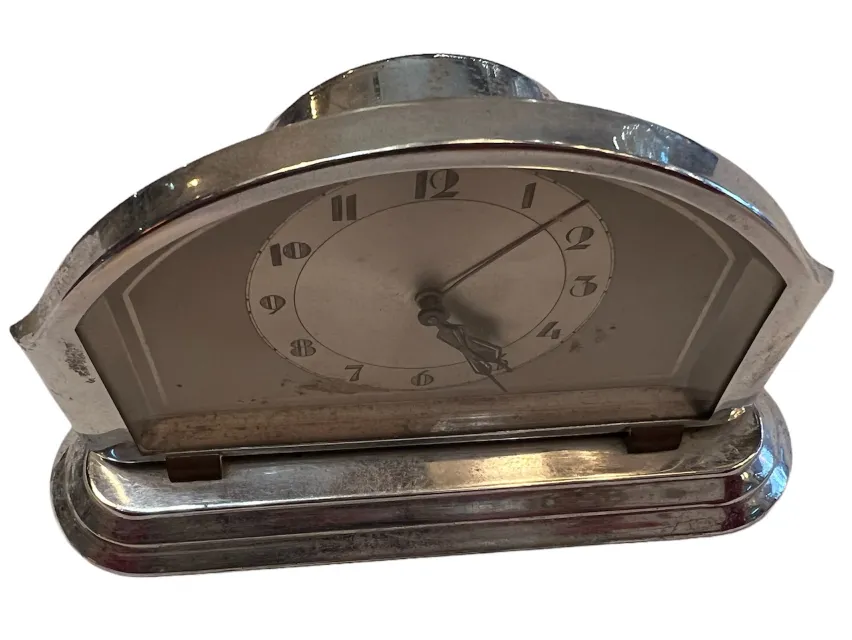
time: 5:07
